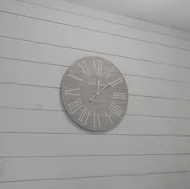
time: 12:09
